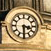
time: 3:30
